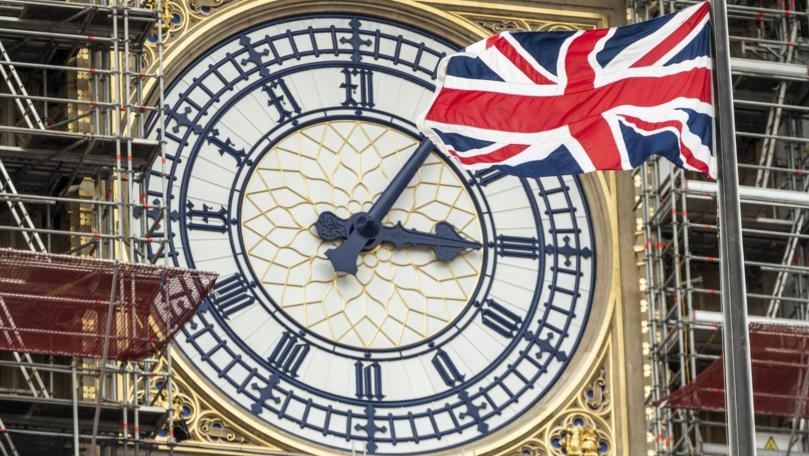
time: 3:05
